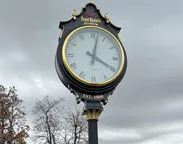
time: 4:02
